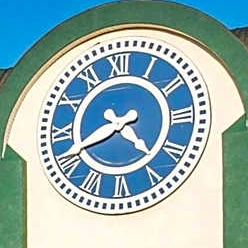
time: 4:41
